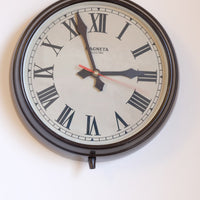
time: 2:56
